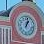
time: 1:02
